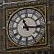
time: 11:15
